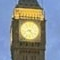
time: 4:42
